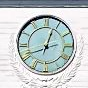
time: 12:41
